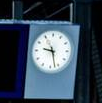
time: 9:27
